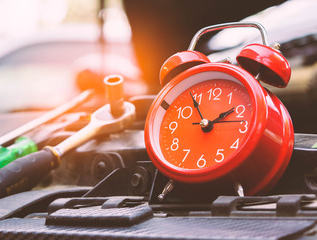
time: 1:54
